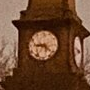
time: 9:22
